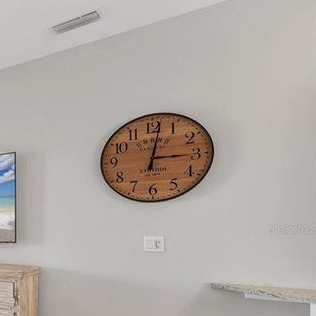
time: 3:01
